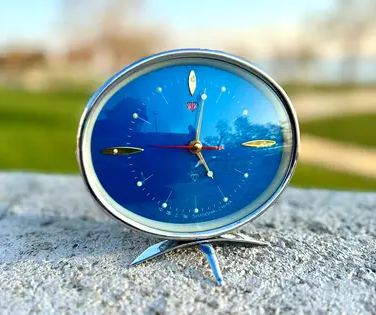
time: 5:01
